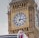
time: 3:02
